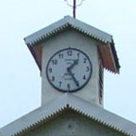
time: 1:24
